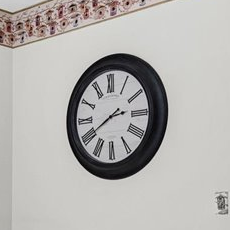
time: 2:40
